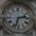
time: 2:33
